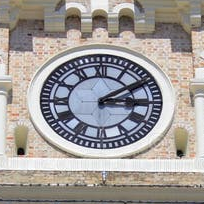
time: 3:09
